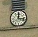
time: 12:16
